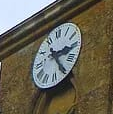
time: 3:24
